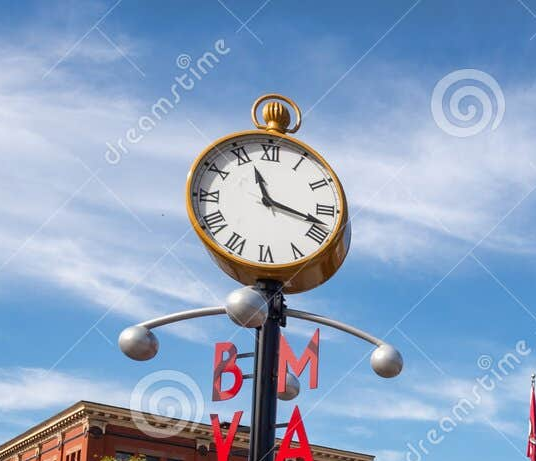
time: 11:17
